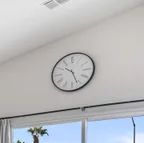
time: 10:26
